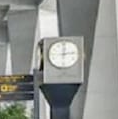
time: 12:13
